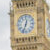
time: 12:33
